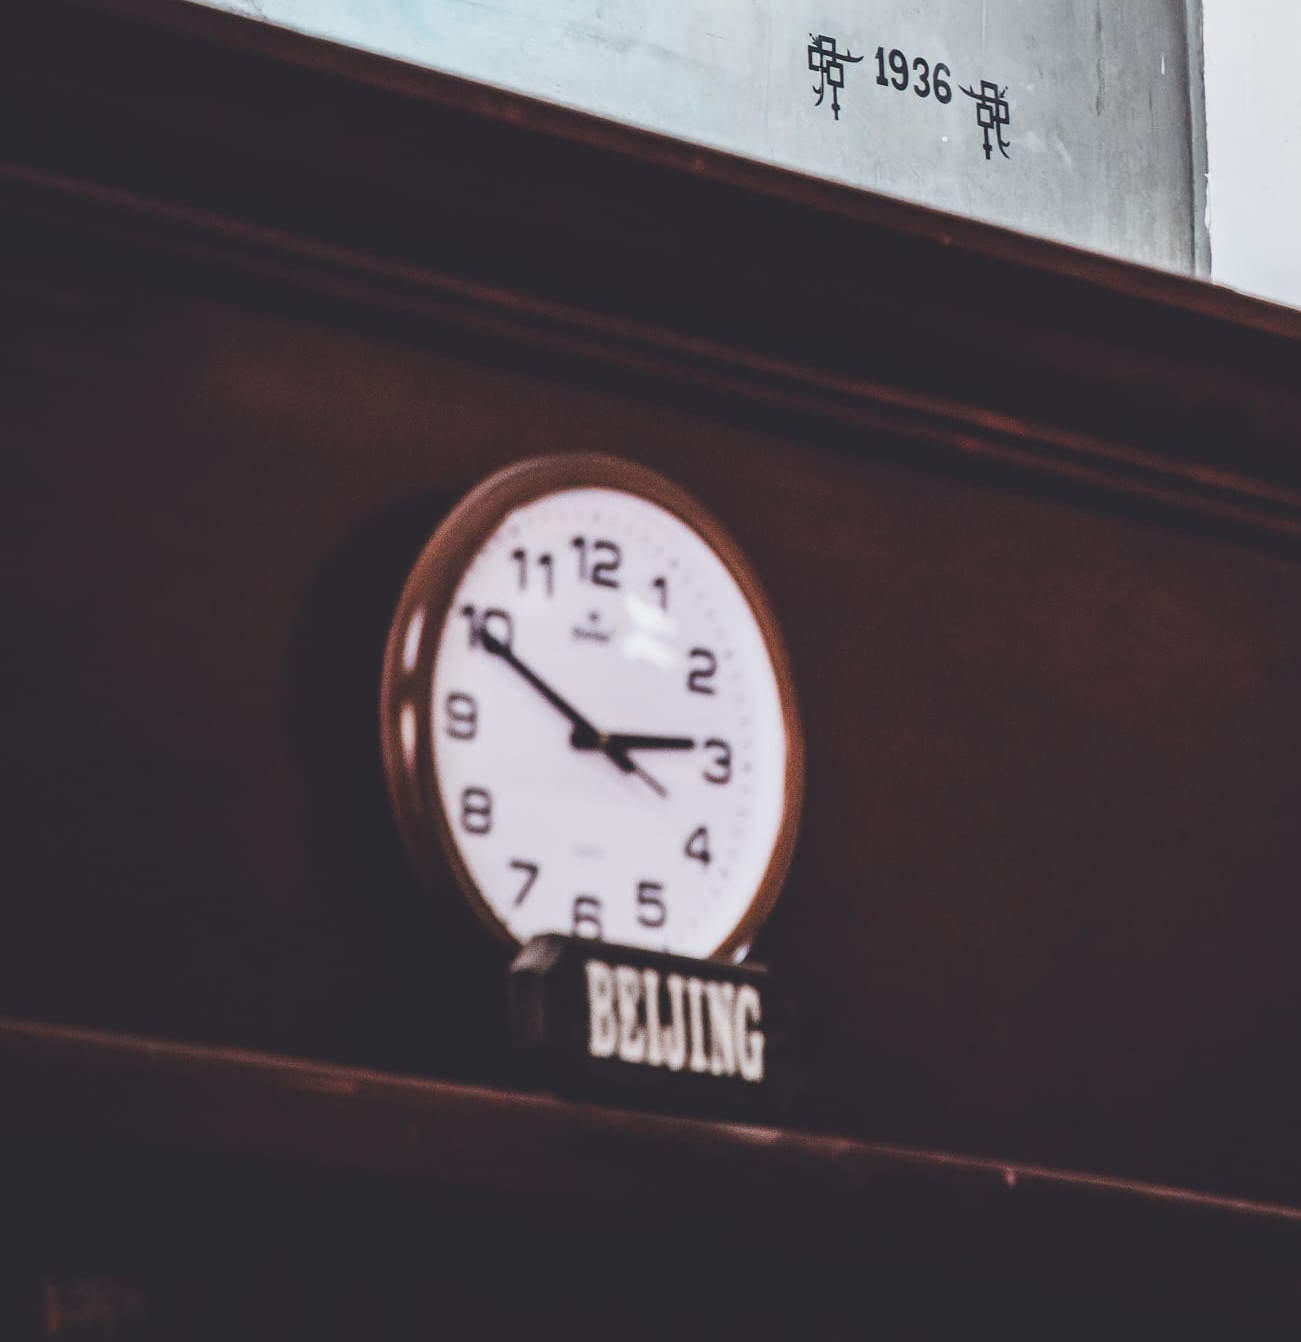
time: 2:49
